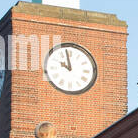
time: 9:57
